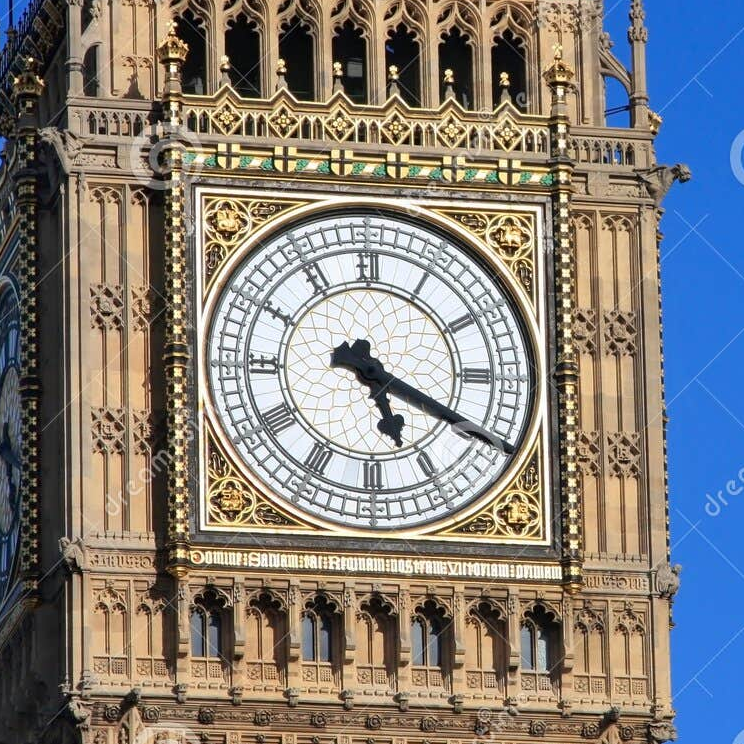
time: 5:19
